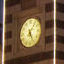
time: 5:06
